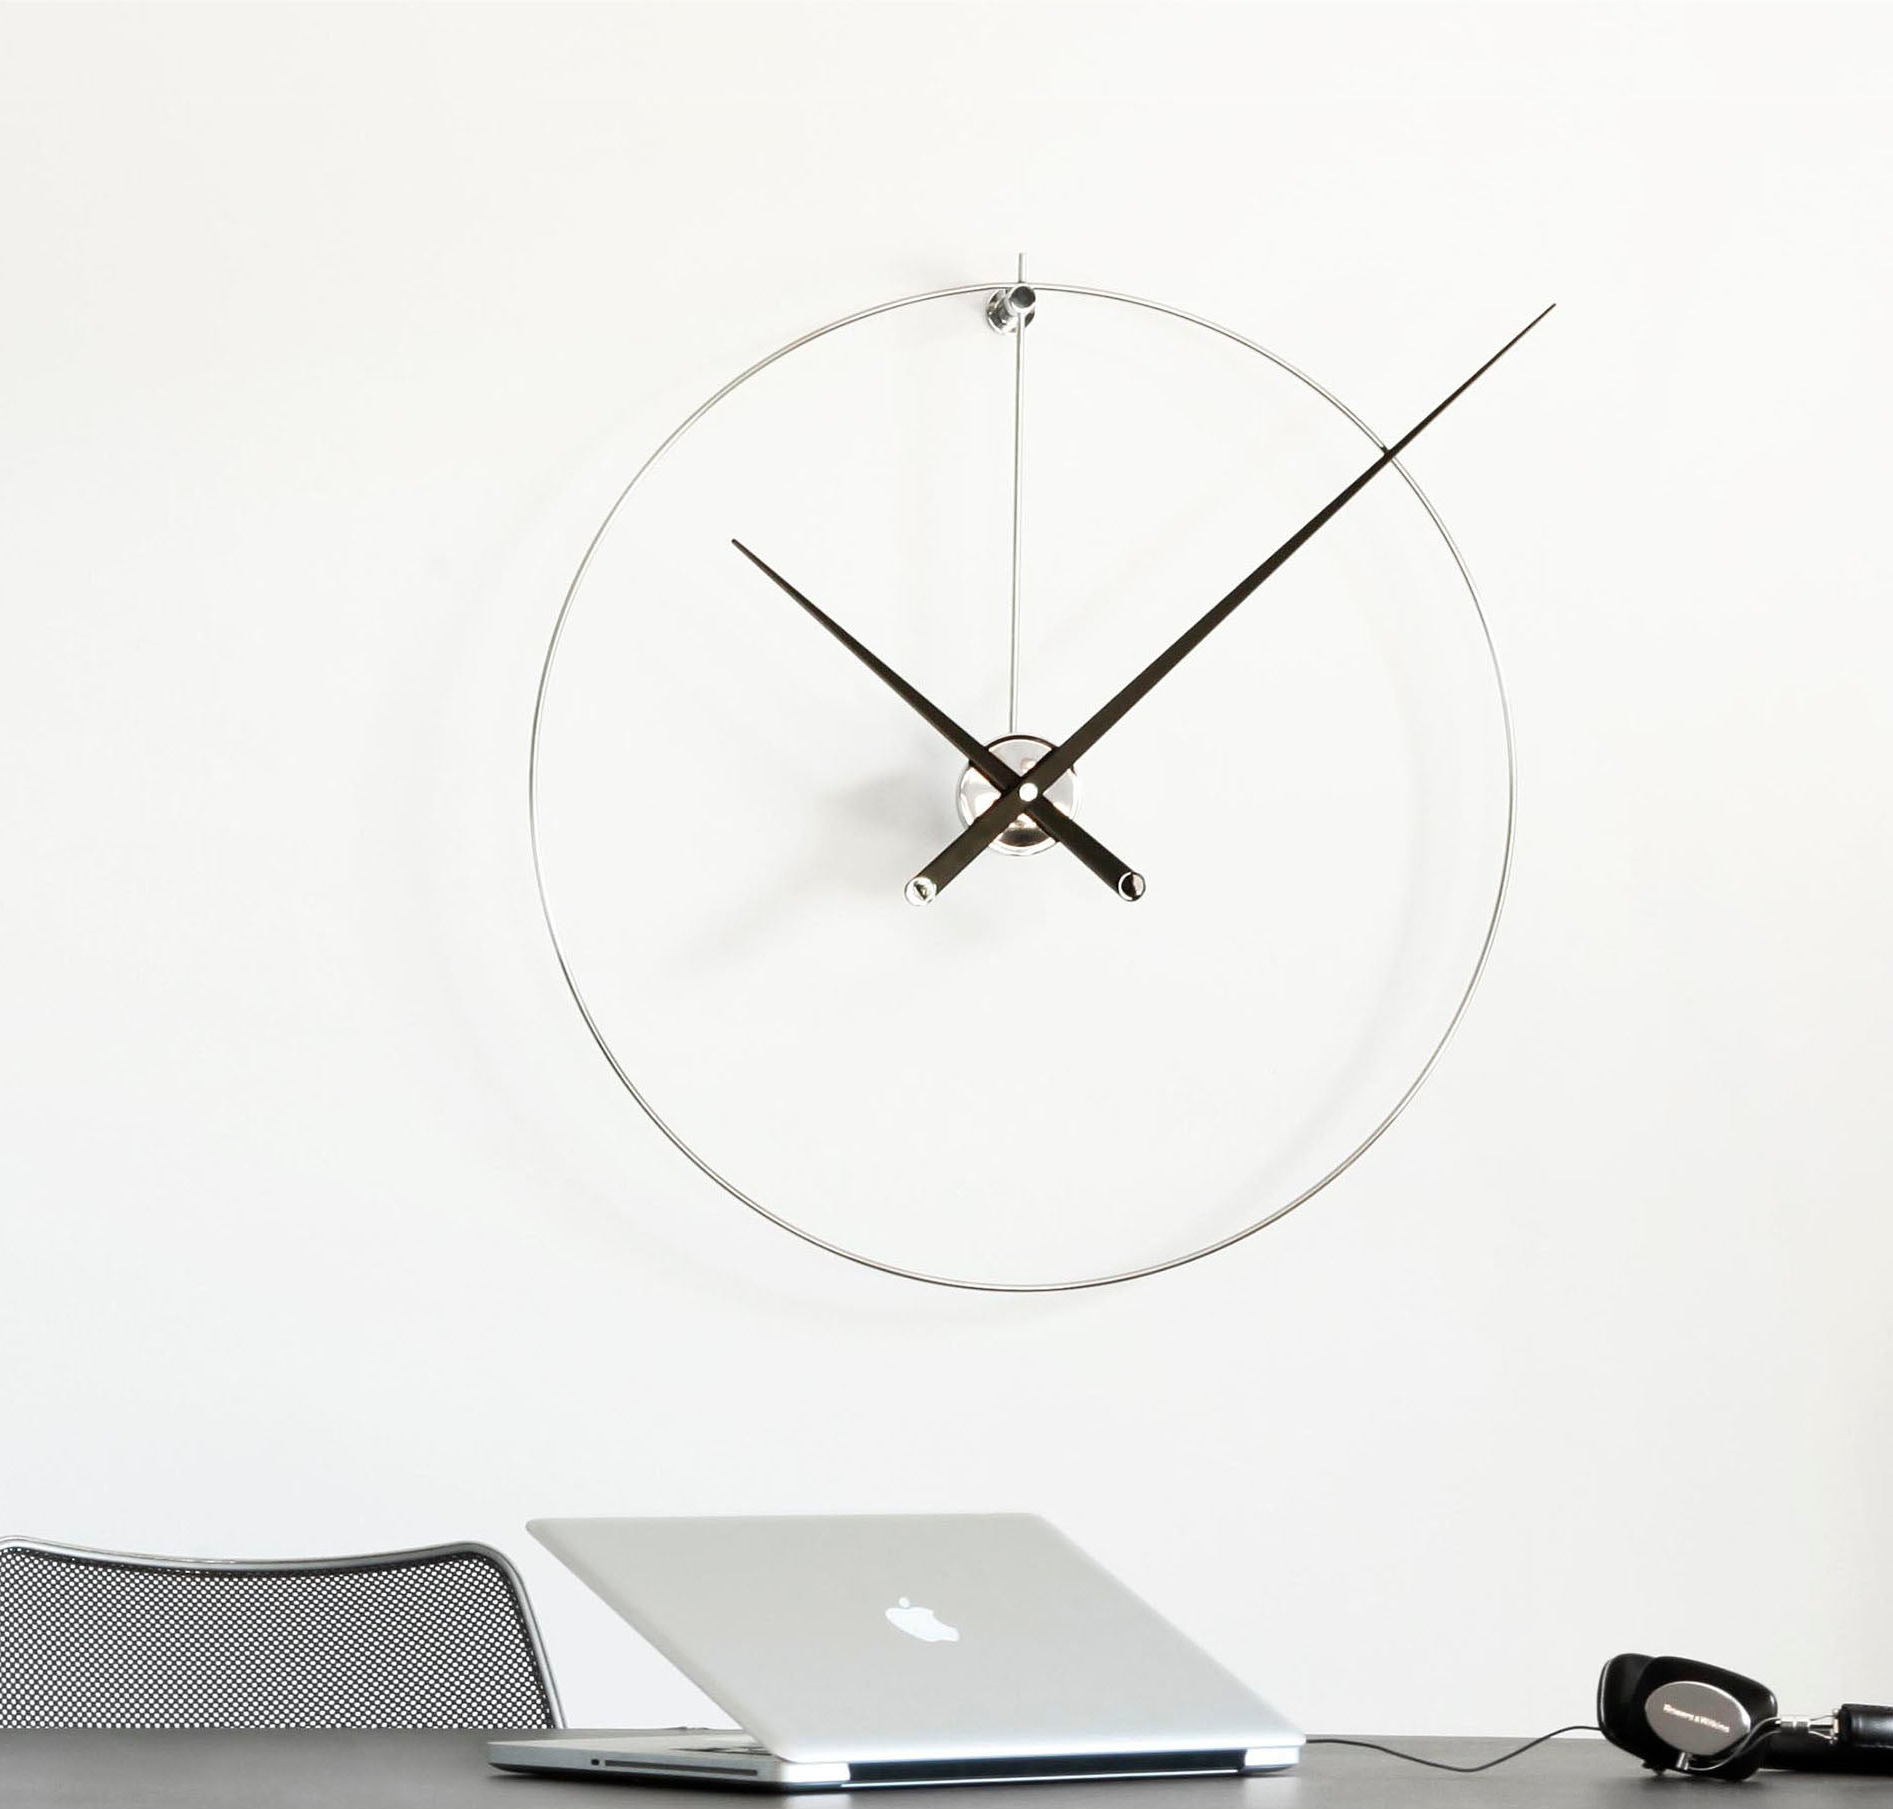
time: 10:07
